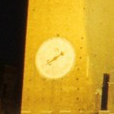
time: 1:39
